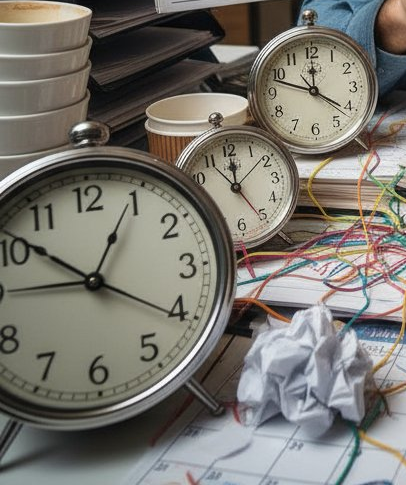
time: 12:51
